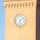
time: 6:08
